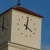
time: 4:01
